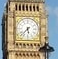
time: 5:37
